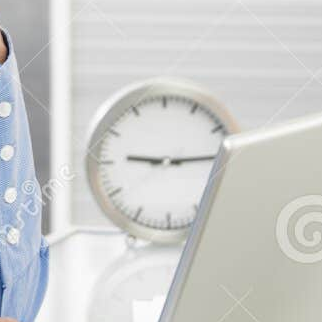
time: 9:13
